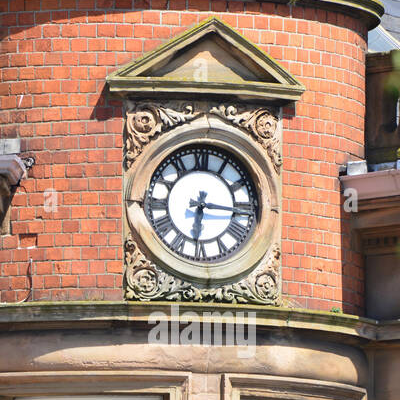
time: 6:15
